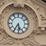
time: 5:35
